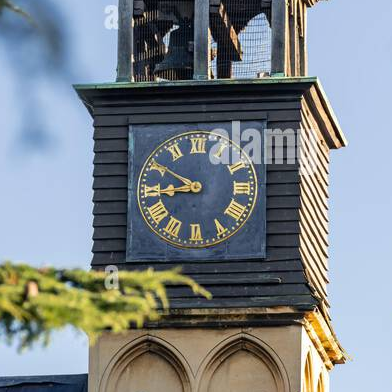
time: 8:50
